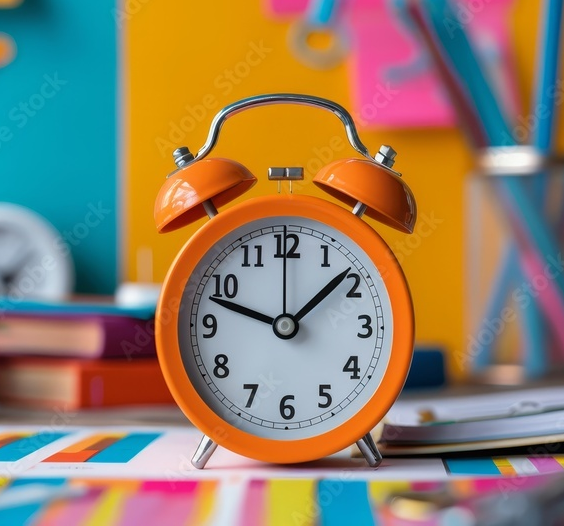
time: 1:47
